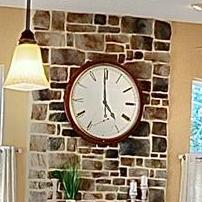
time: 4:59
